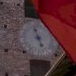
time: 4:57
